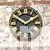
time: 1:50
